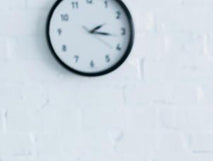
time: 2:16
